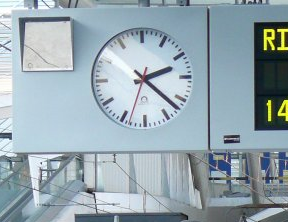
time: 2:22
